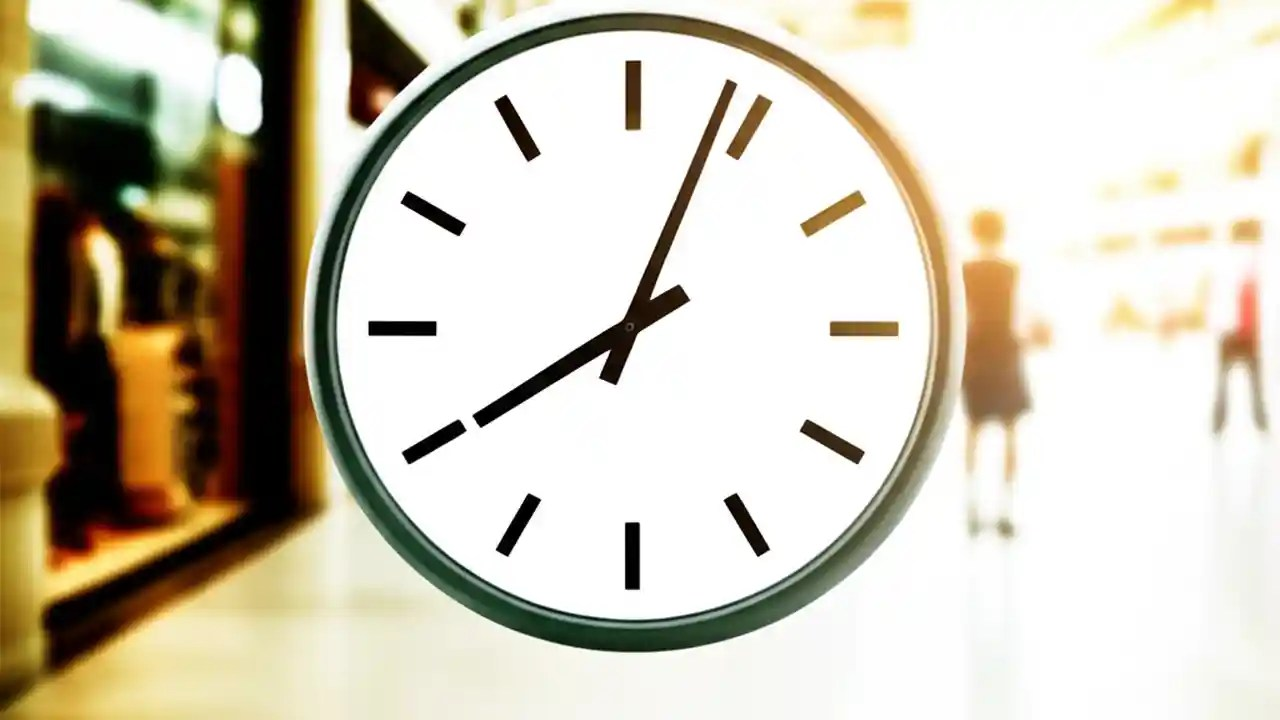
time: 8:03
